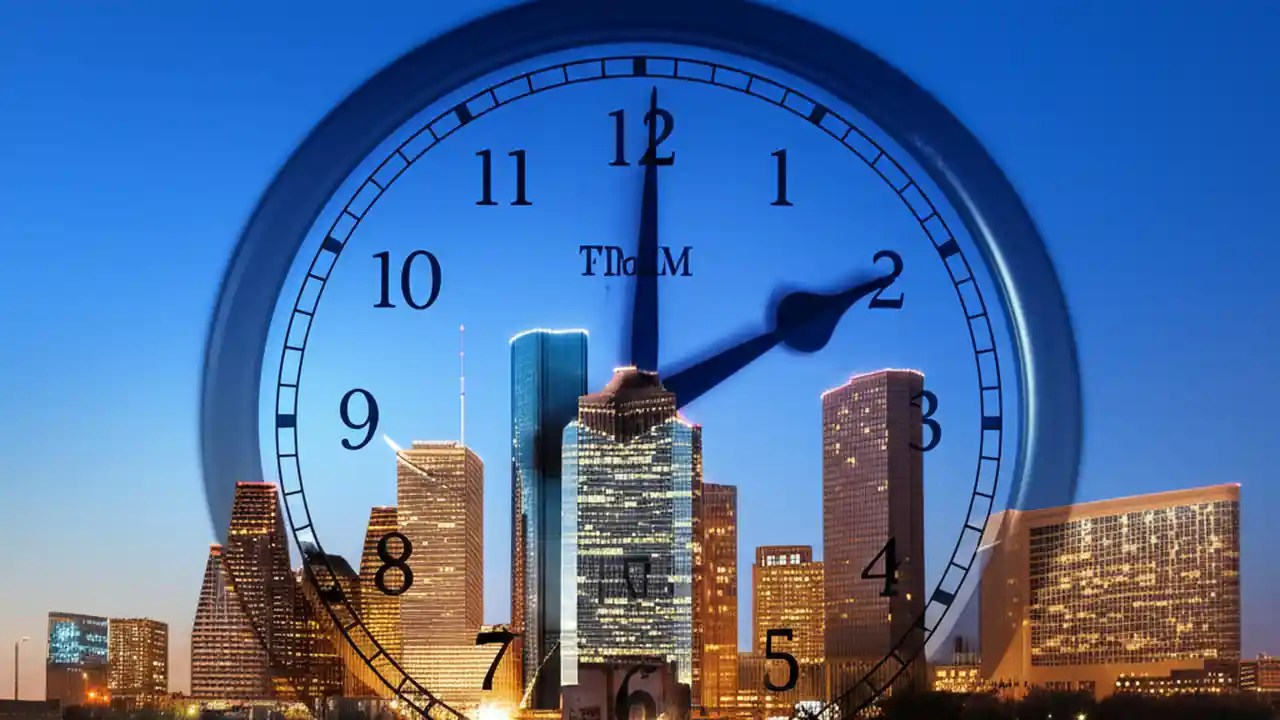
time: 2:00
